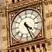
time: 4:26
